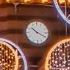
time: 10:19
